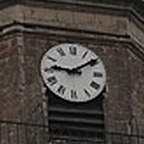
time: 9:09
